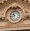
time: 10:43
